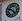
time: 4:50
